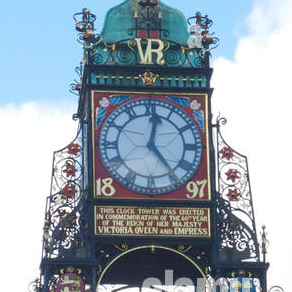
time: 12:23
